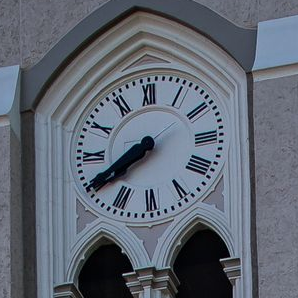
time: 7:40
